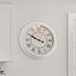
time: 9:49
